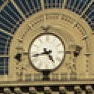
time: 4:42
